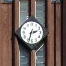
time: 2:33
